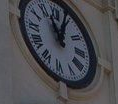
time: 11:04
